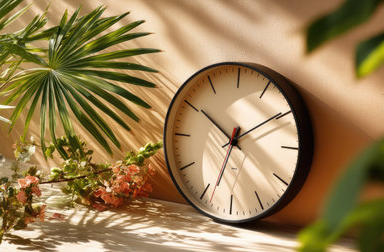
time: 6:50
